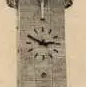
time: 2:49
